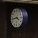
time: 3:43
